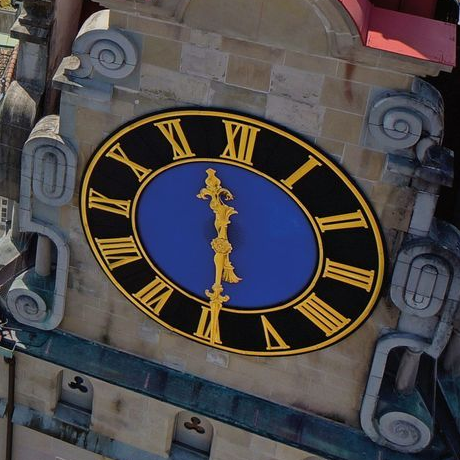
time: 11:29
